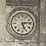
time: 5:13
